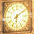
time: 6:08
